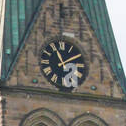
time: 11:10
